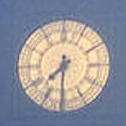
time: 7:30
